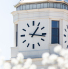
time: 1:16
